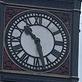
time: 10:27
